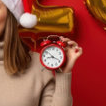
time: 8:18
